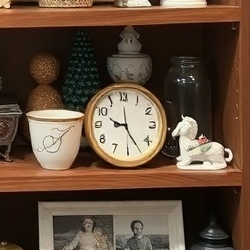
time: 9:25
